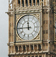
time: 11:44
